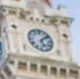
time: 5:08
